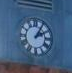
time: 2:05
